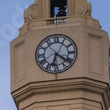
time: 6:21
